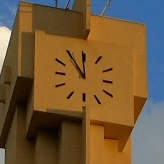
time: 11:54
